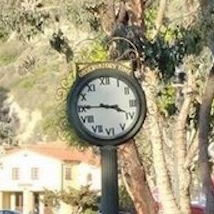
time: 3:45
